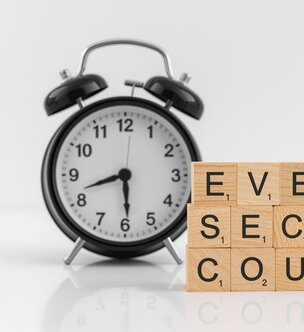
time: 8:29
